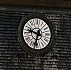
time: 9:33
